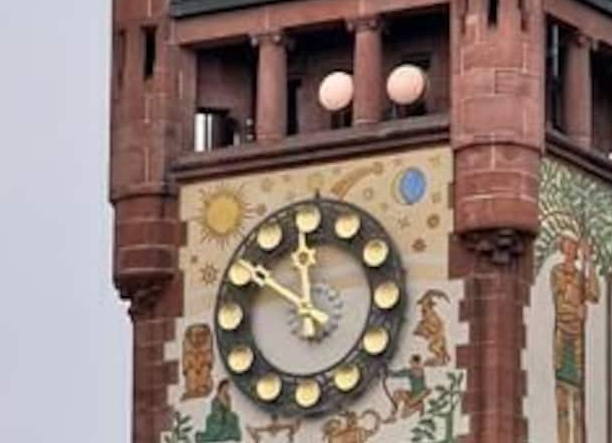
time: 11:50
